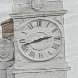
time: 2:42
